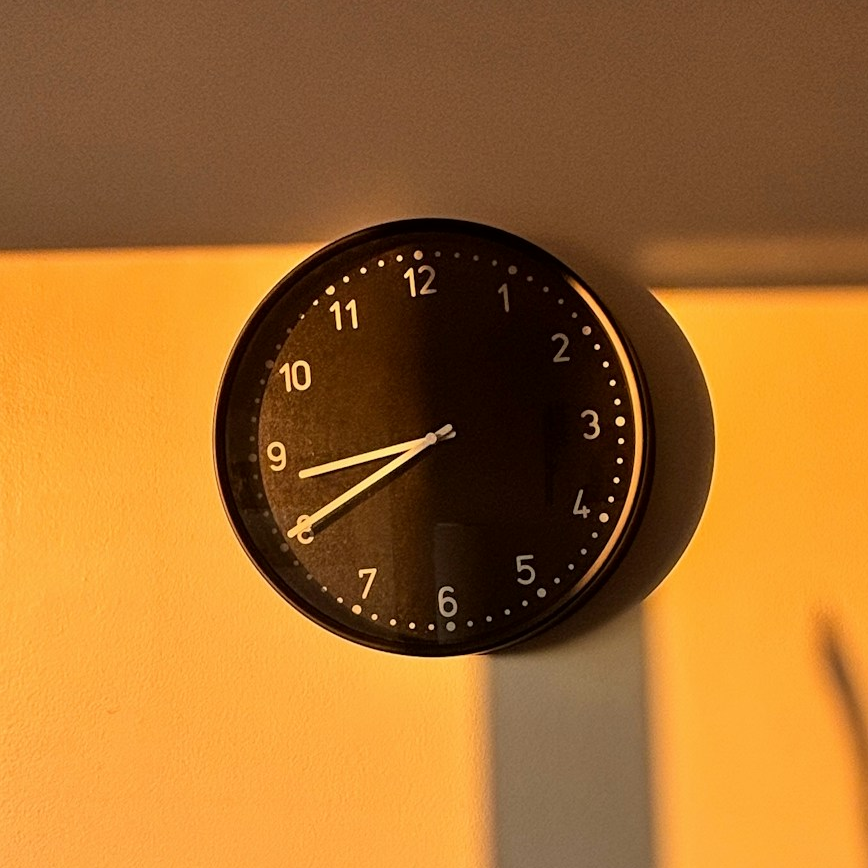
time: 8:40
